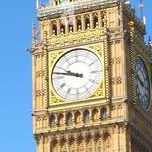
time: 9:47
